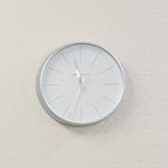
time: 11:33
